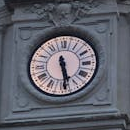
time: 5:29
